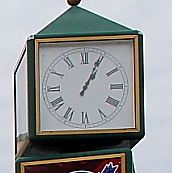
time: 1:04
